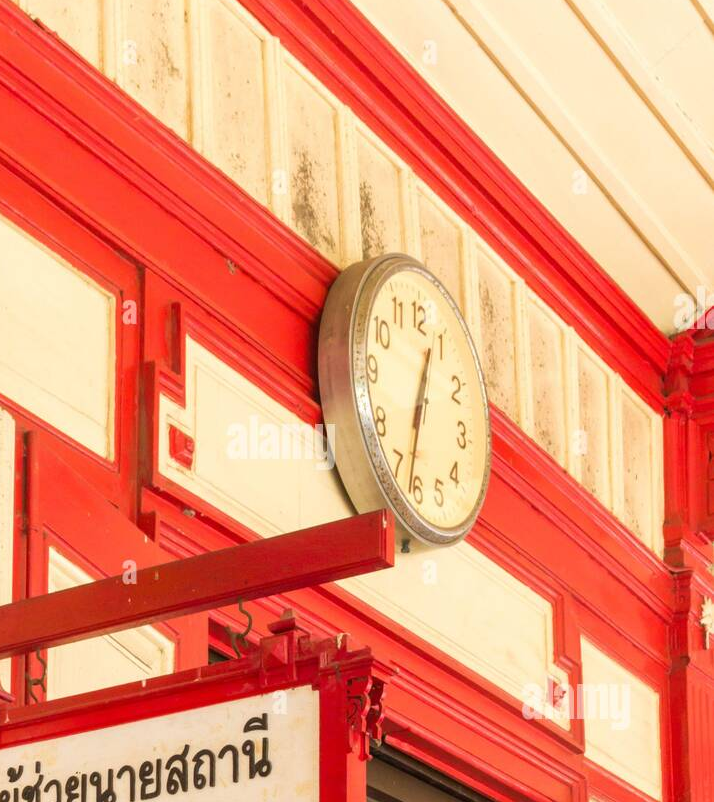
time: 12:32
